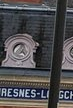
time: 12:23
